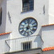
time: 7:01
